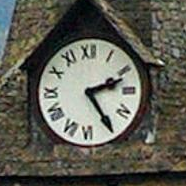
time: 2:24
